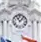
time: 11:07
